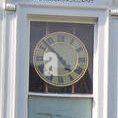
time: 4:52
